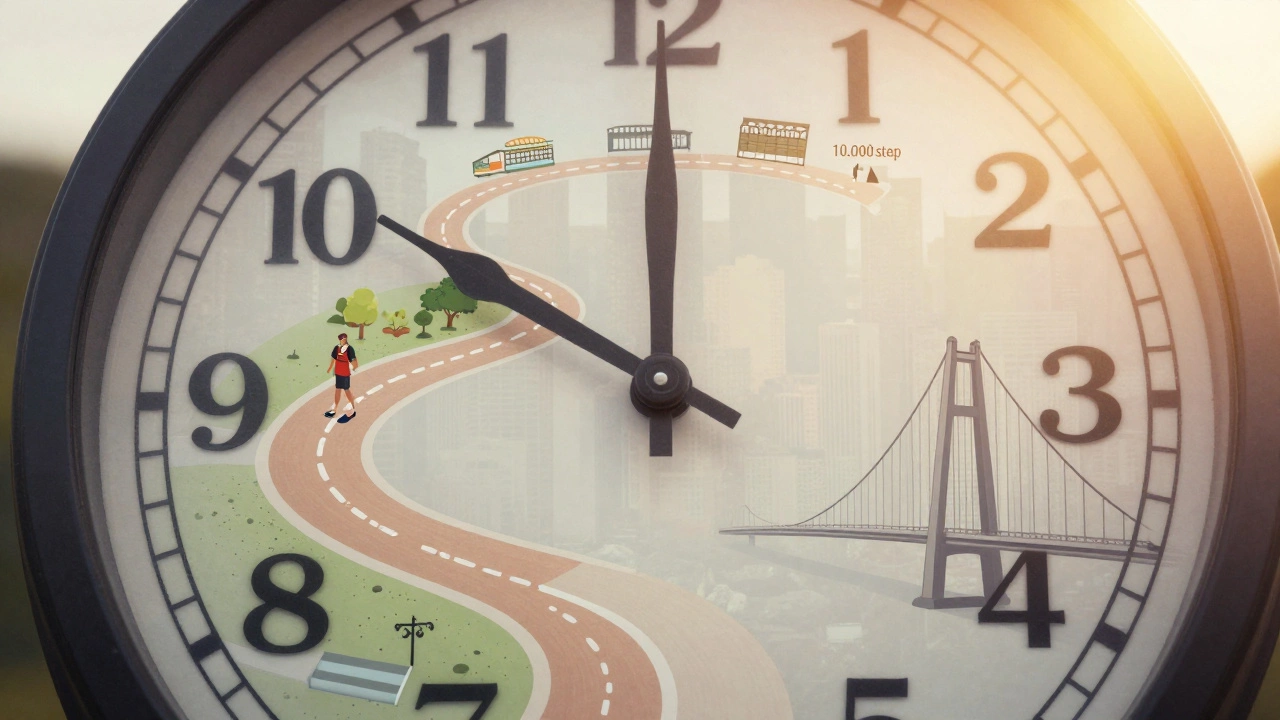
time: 9:59
